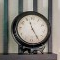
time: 11:24
